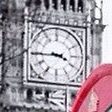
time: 3:44
